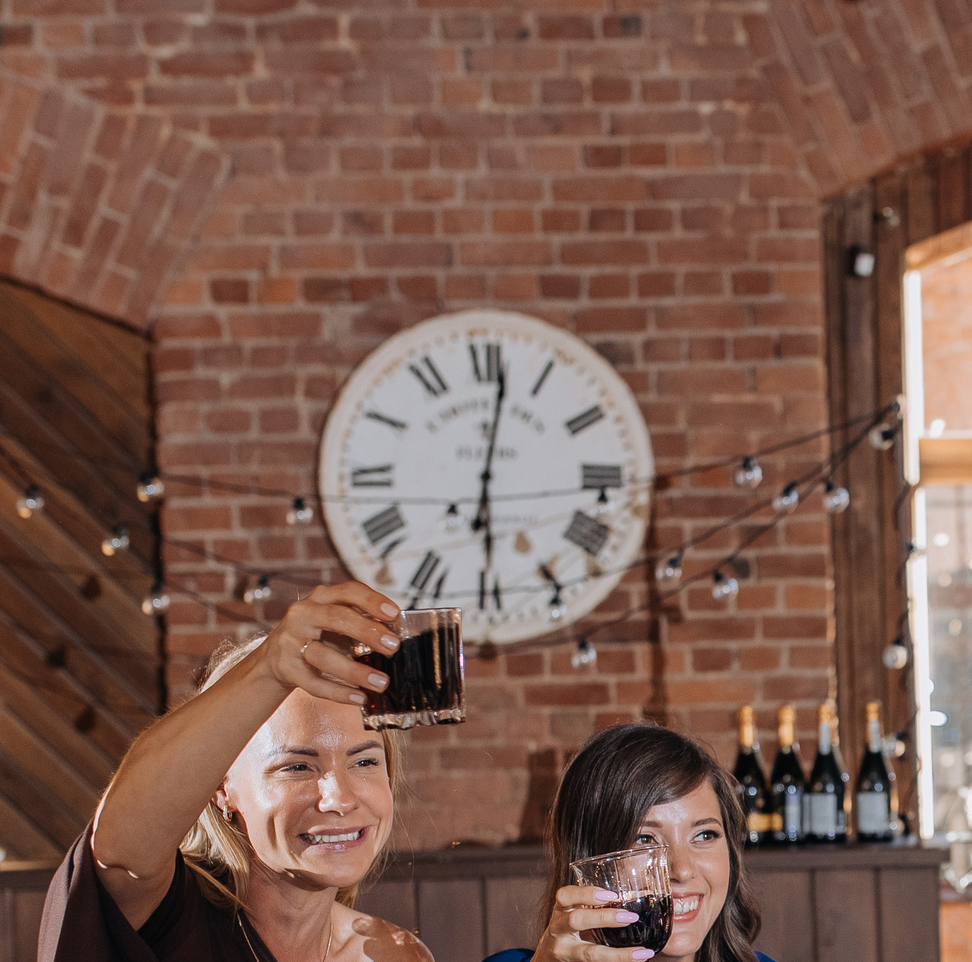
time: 6:01
